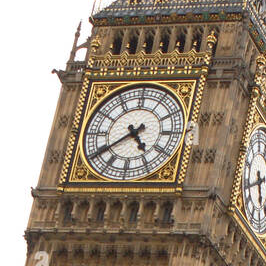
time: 4:39
